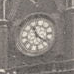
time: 11:21
